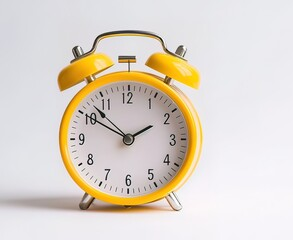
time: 1:50
